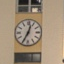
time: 12:34
